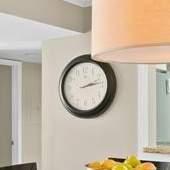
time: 2:13
